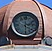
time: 2:29
